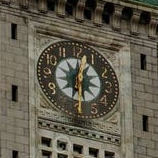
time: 12:28
